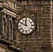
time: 11:49
